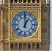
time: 1:00
